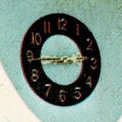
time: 2:44
